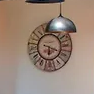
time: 6:18
